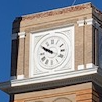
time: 9:50
